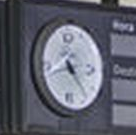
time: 4:42
